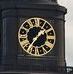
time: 1:36
